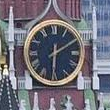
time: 6:10
